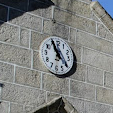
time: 10:55
